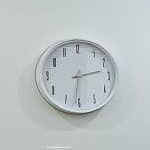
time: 2:31
